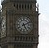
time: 5:11
